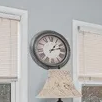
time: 1:12
